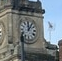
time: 12:06
